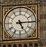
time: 5:14
